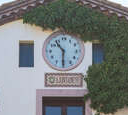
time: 10:30
